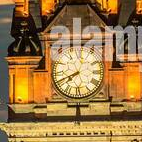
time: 7:41
